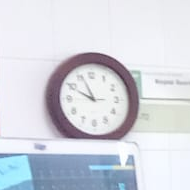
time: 9:56
